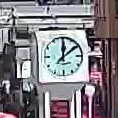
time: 12:09
